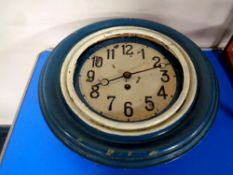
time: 8:11
